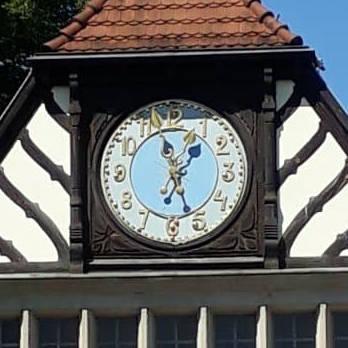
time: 1:26
